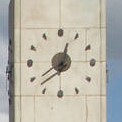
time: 12:38
